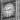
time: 2:45
